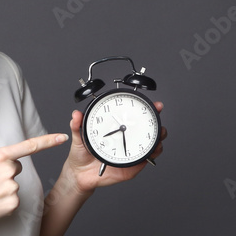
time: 8:30
